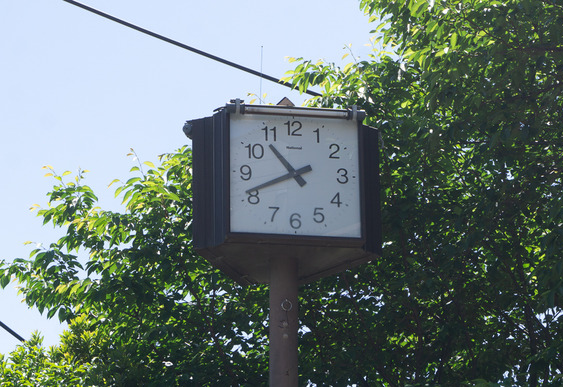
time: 10:41
